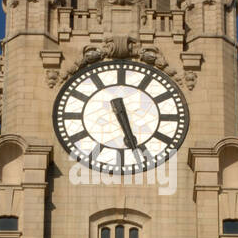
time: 5:26
